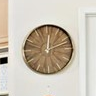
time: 12:11
